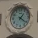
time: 1:21
